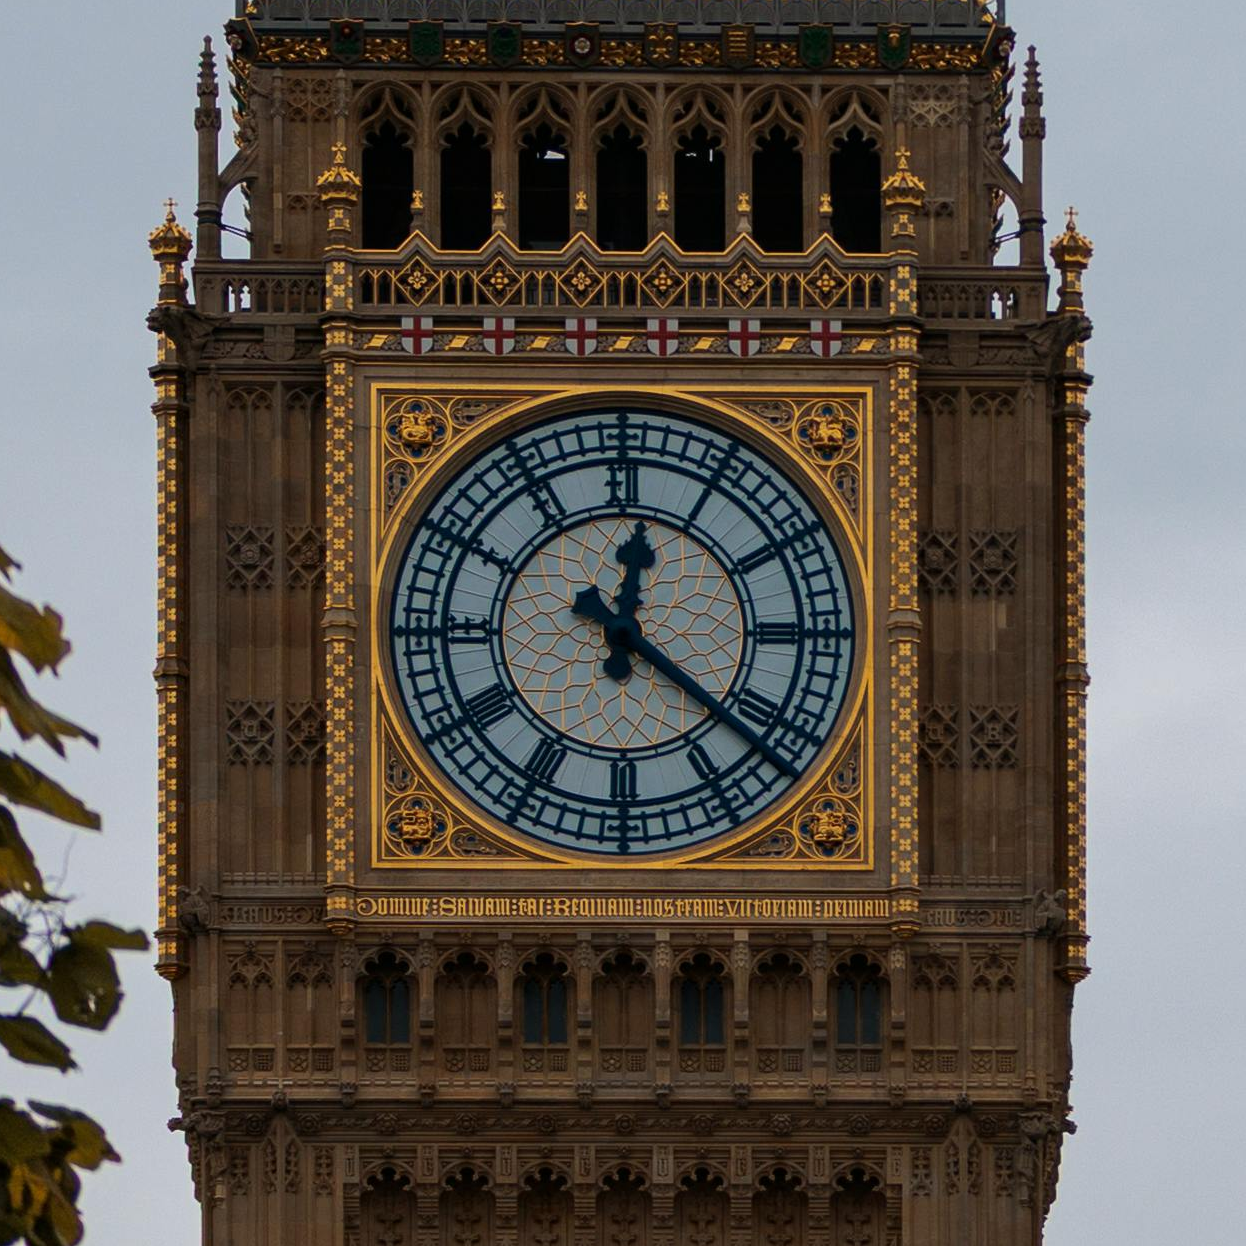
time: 12:21
